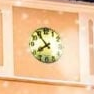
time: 7:53
